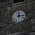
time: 12:14
